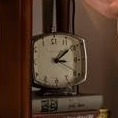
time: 3:08
